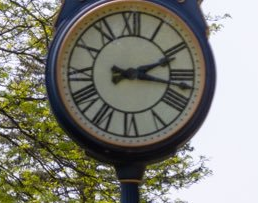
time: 2:17
